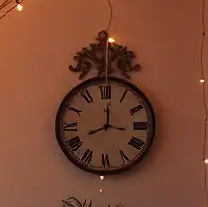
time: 12:16
